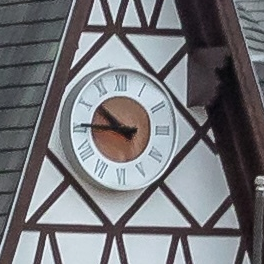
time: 10:45
